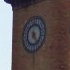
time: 7:24
